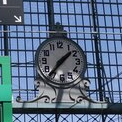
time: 1:36
